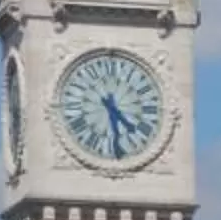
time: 4:29
